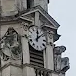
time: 12:07
